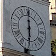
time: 5:59
